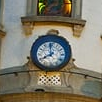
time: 7:59
